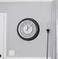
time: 12:07
